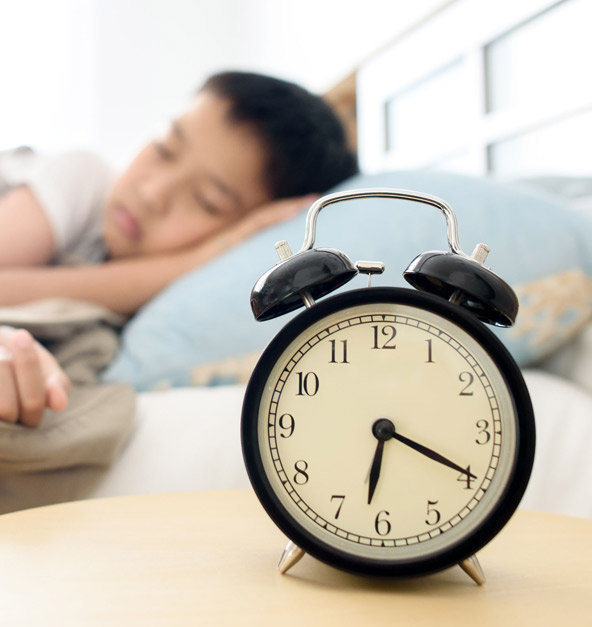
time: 6:19
